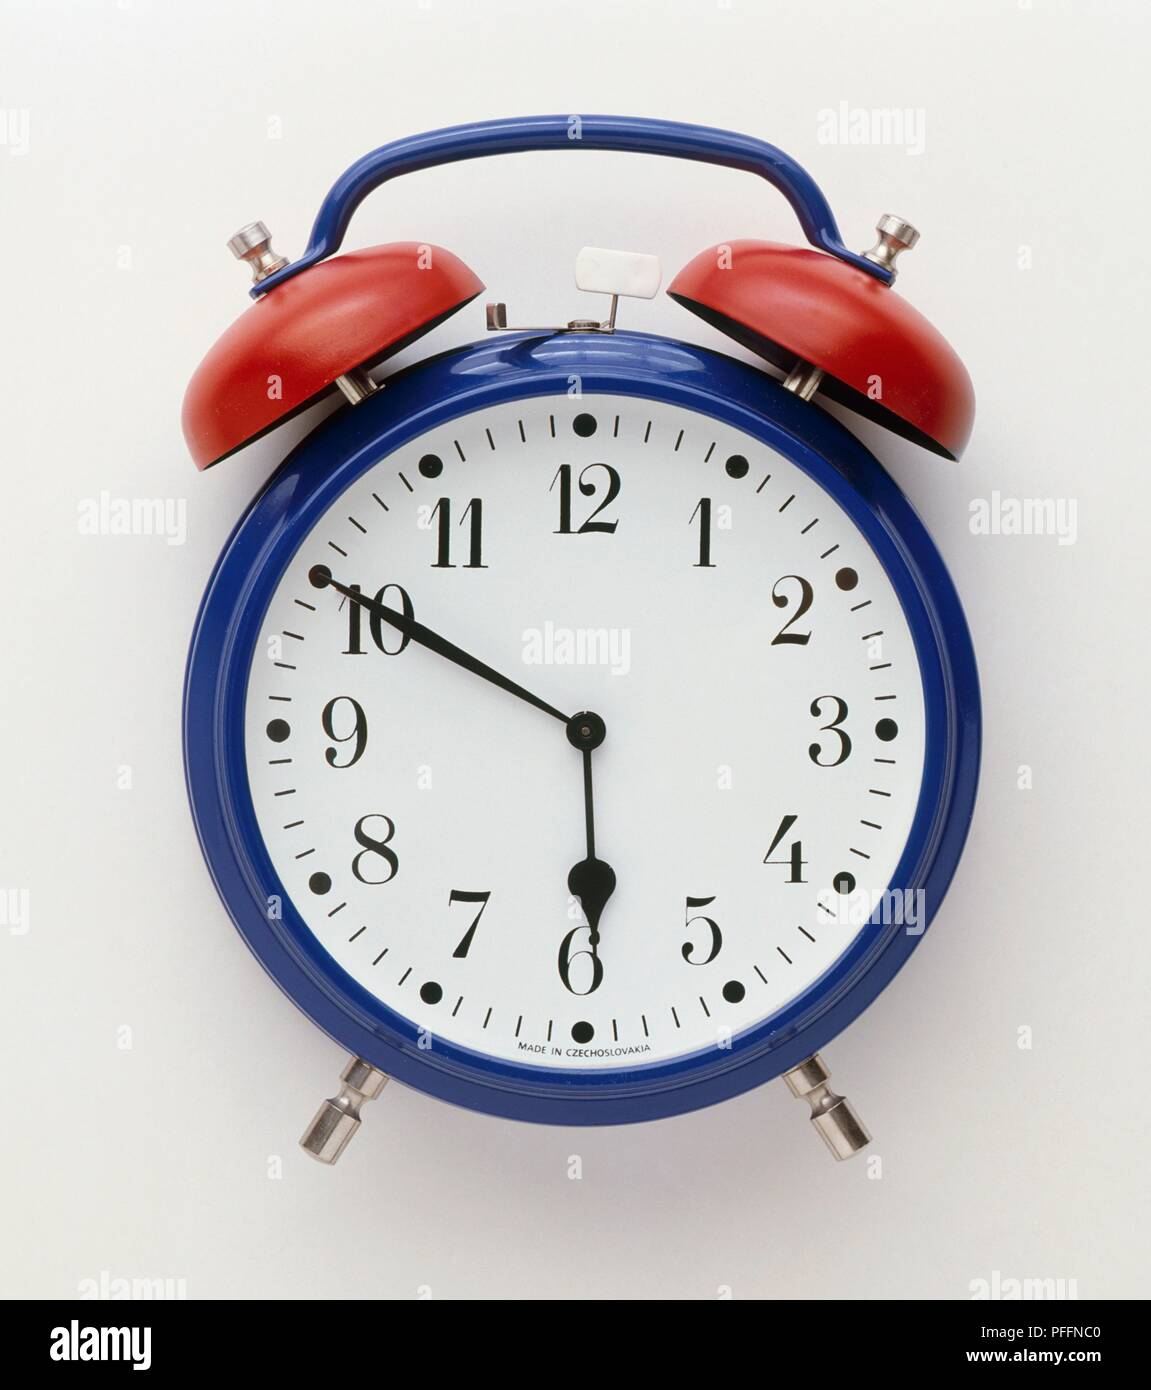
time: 5:50
